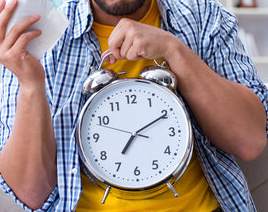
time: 7:10
